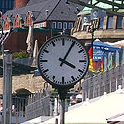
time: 4:04
